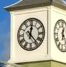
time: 12:23
